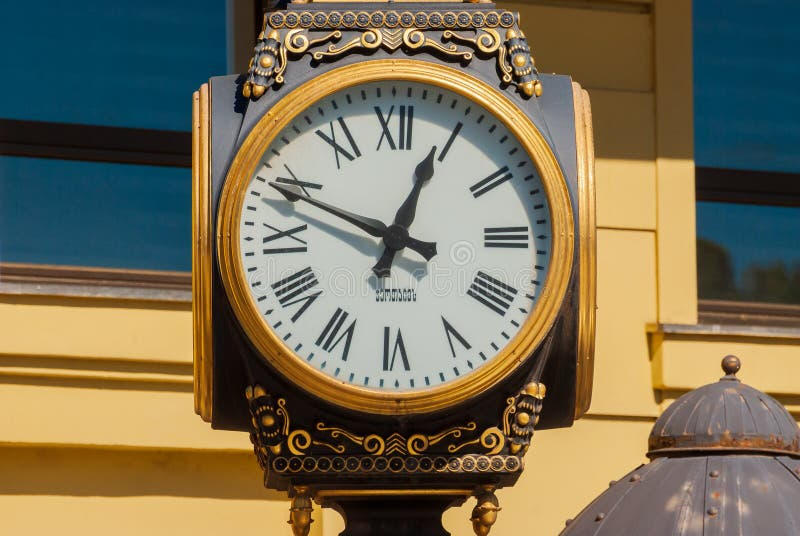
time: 12:49
